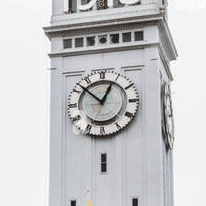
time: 12:52
